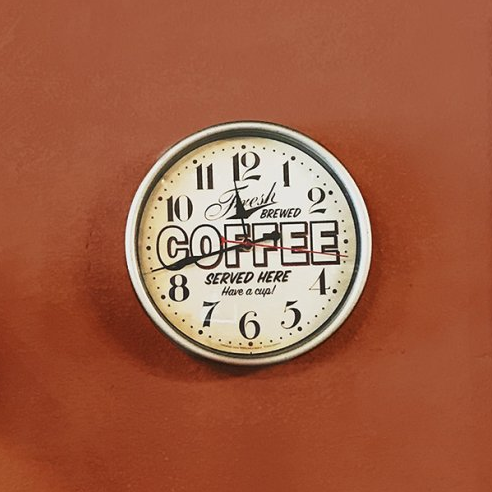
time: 11:42
